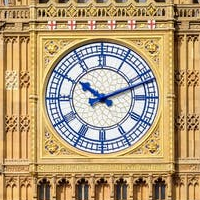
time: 10:11
